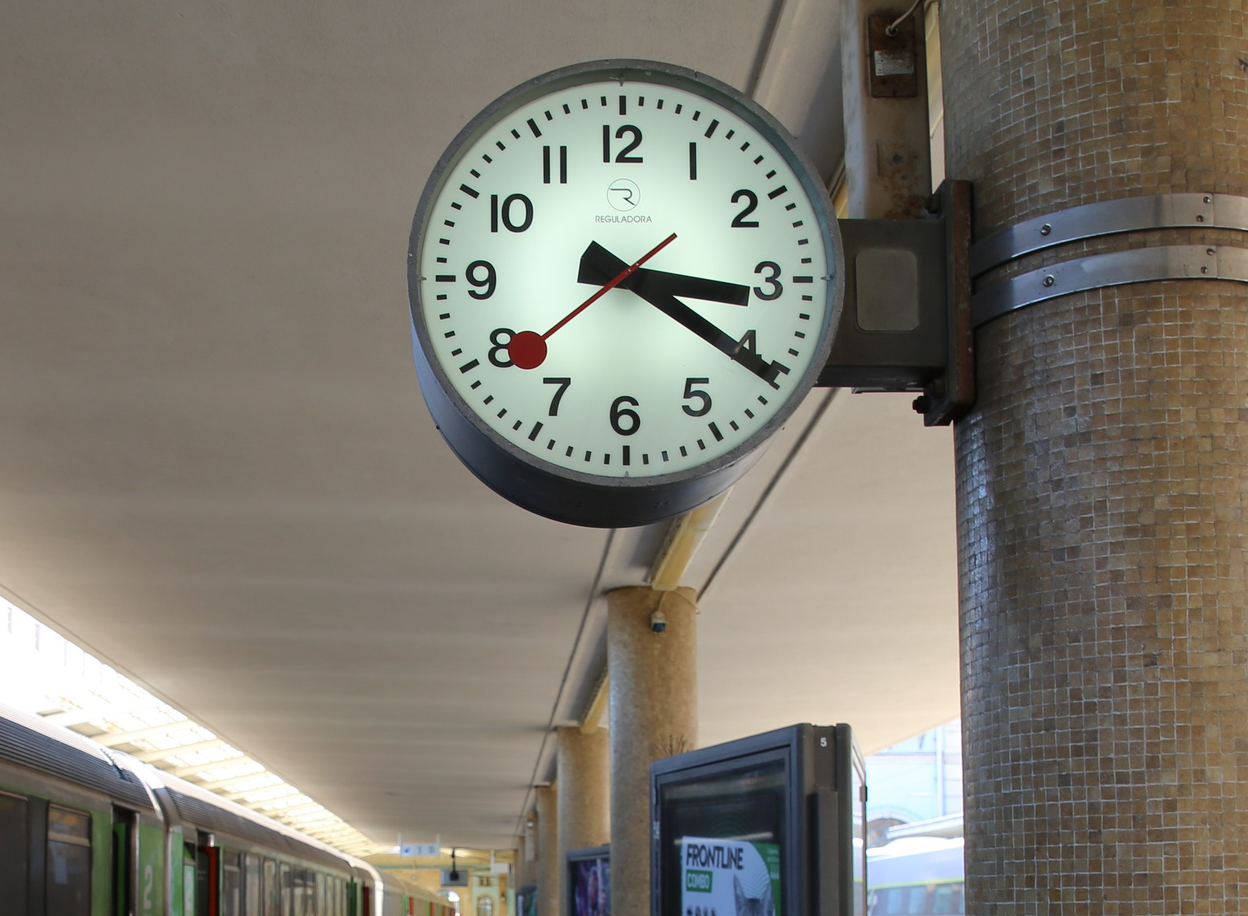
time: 3:20
